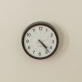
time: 4:23
